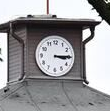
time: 3:14
